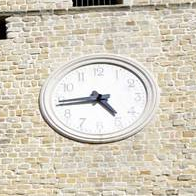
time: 4:44
